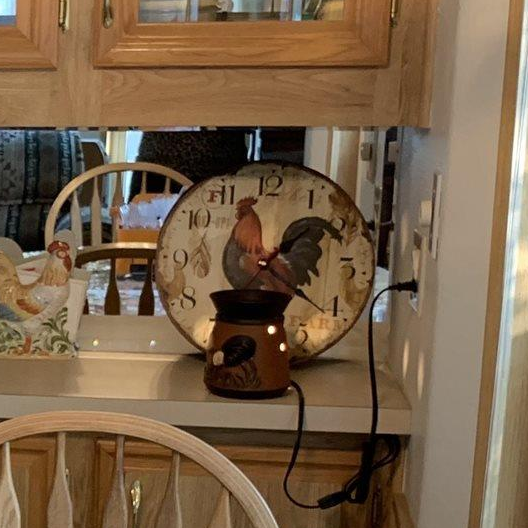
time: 1:21
